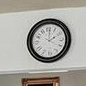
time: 2:01
